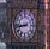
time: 8:43
